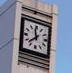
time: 11:37
